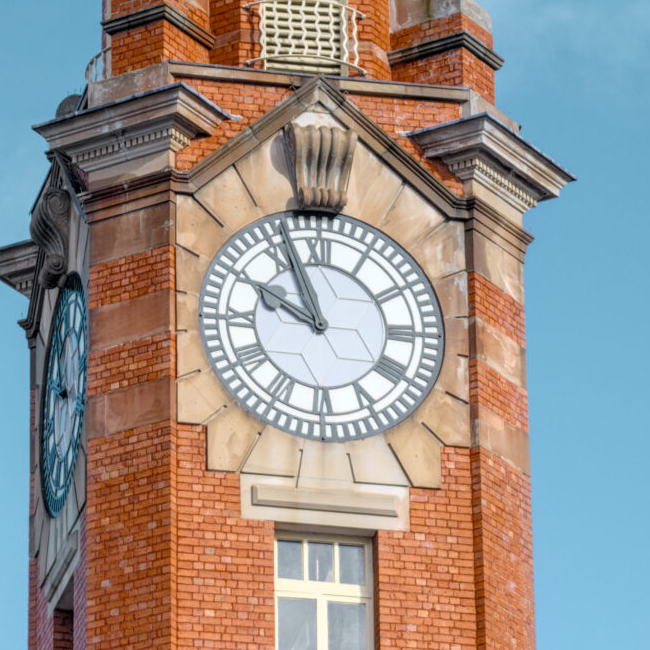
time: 9:56
